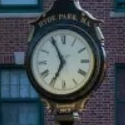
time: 6:55
